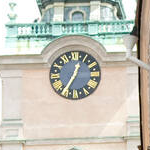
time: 12:34
